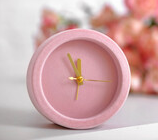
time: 11:55
